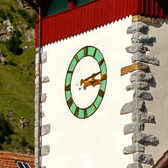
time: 3:13
